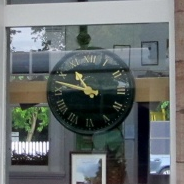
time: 10:47
